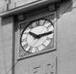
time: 10:14
